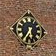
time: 5:35
